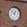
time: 12:52
